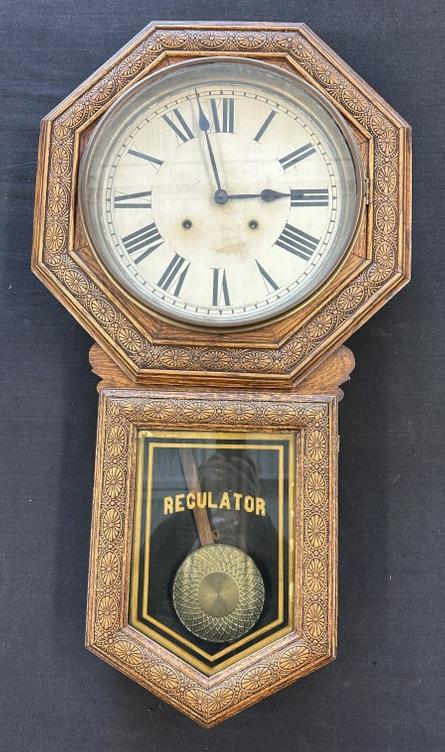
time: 2:57
